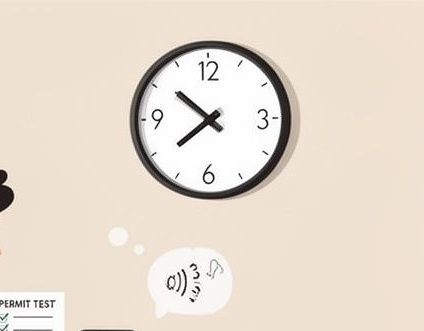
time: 7:51
